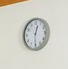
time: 12:30
